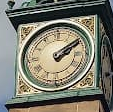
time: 2:09
